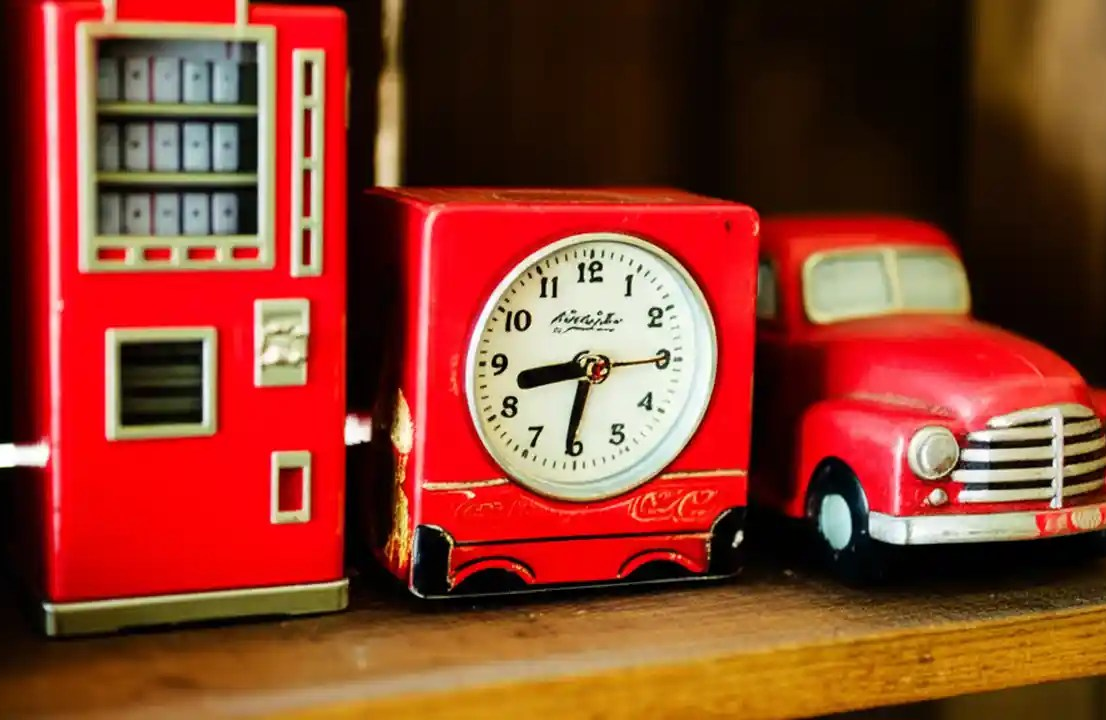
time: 8:31
